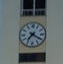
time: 7:20
